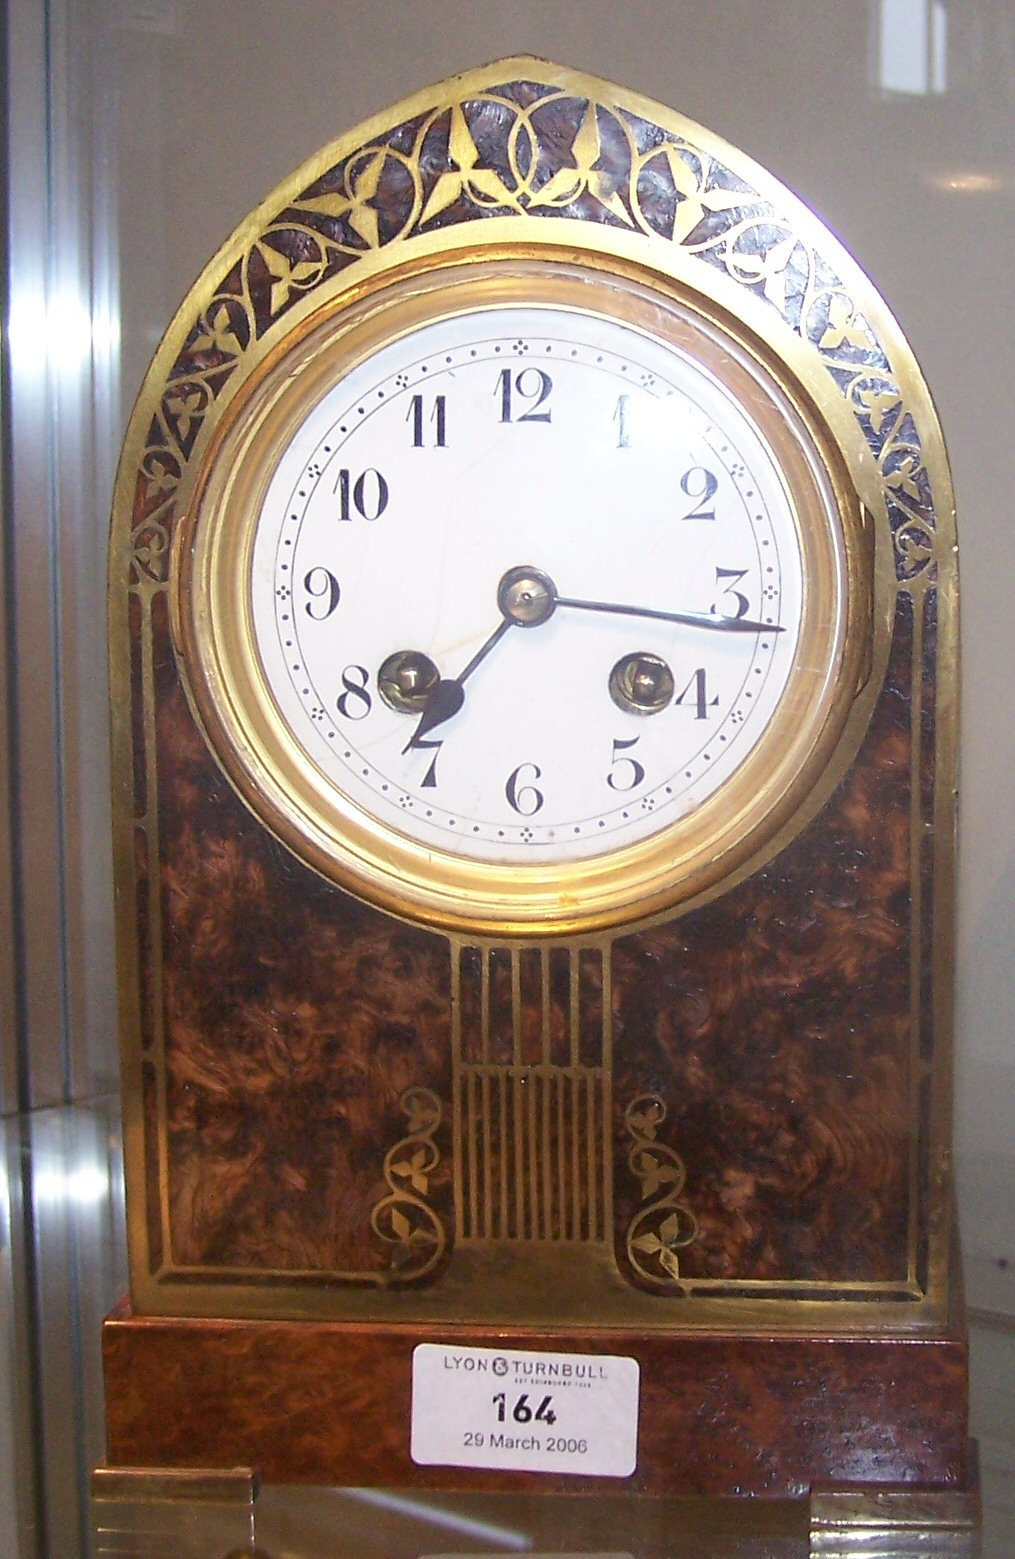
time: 7:16
